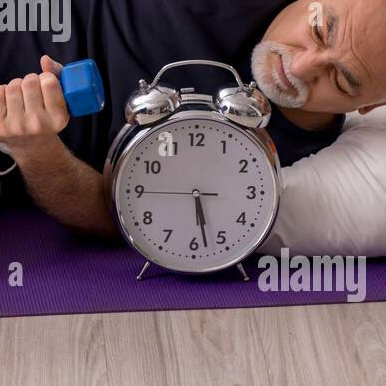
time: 5:28
